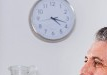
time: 4:17
